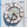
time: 4:33
